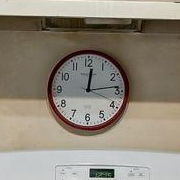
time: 12:13
